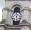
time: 12:28
